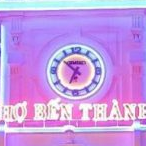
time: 6:52
